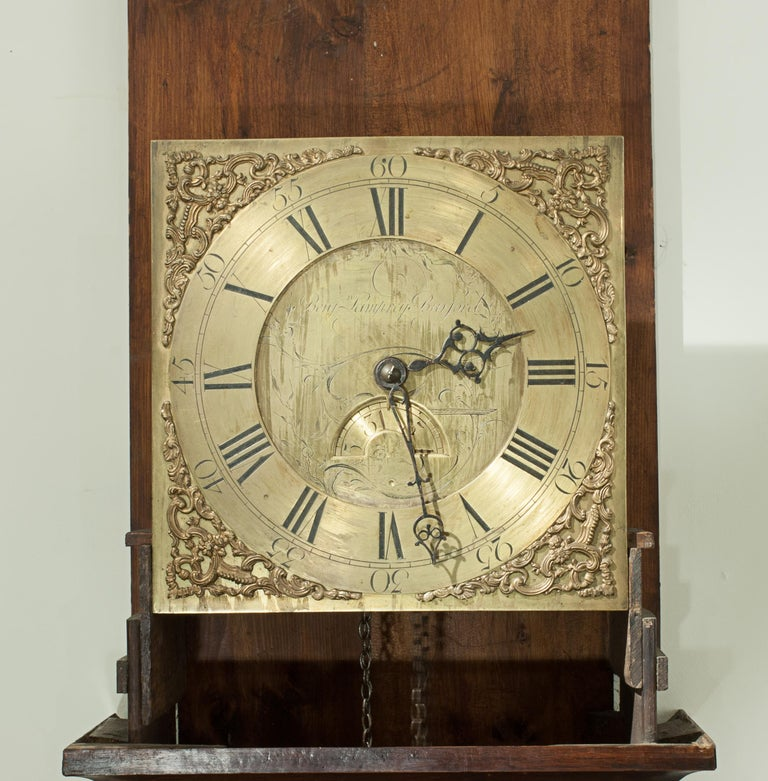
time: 2:27
